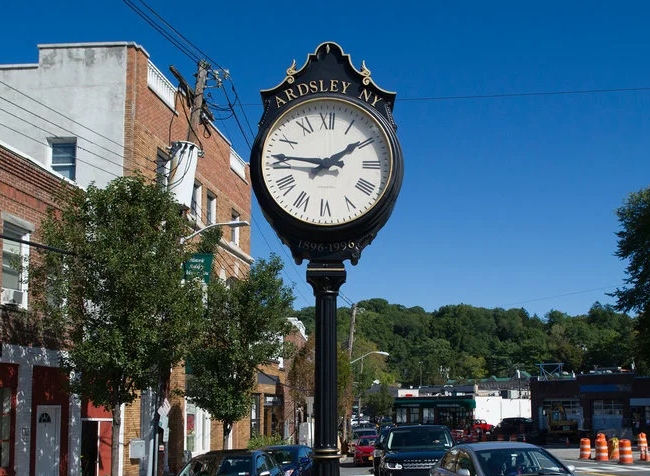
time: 1:46
